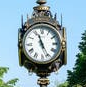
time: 11:25
